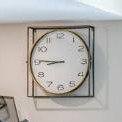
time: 8:45
